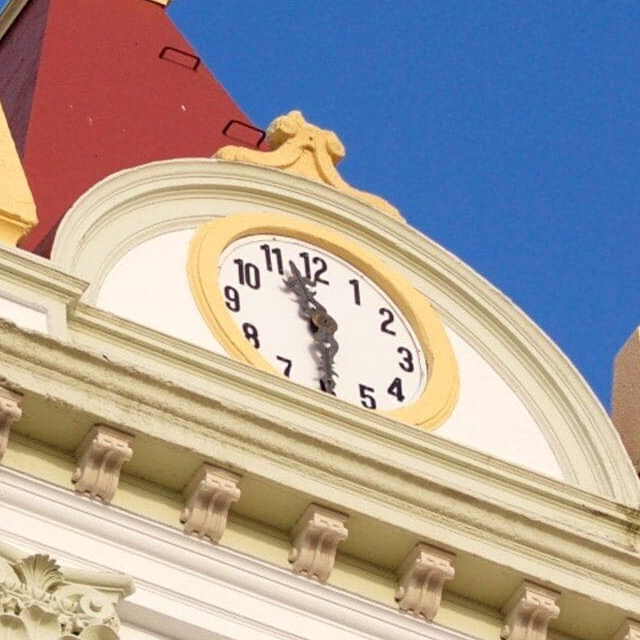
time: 11:29
